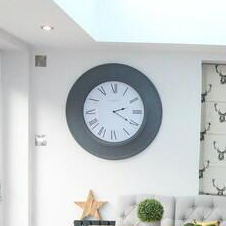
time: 2:20
